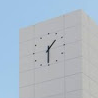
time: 1:30
